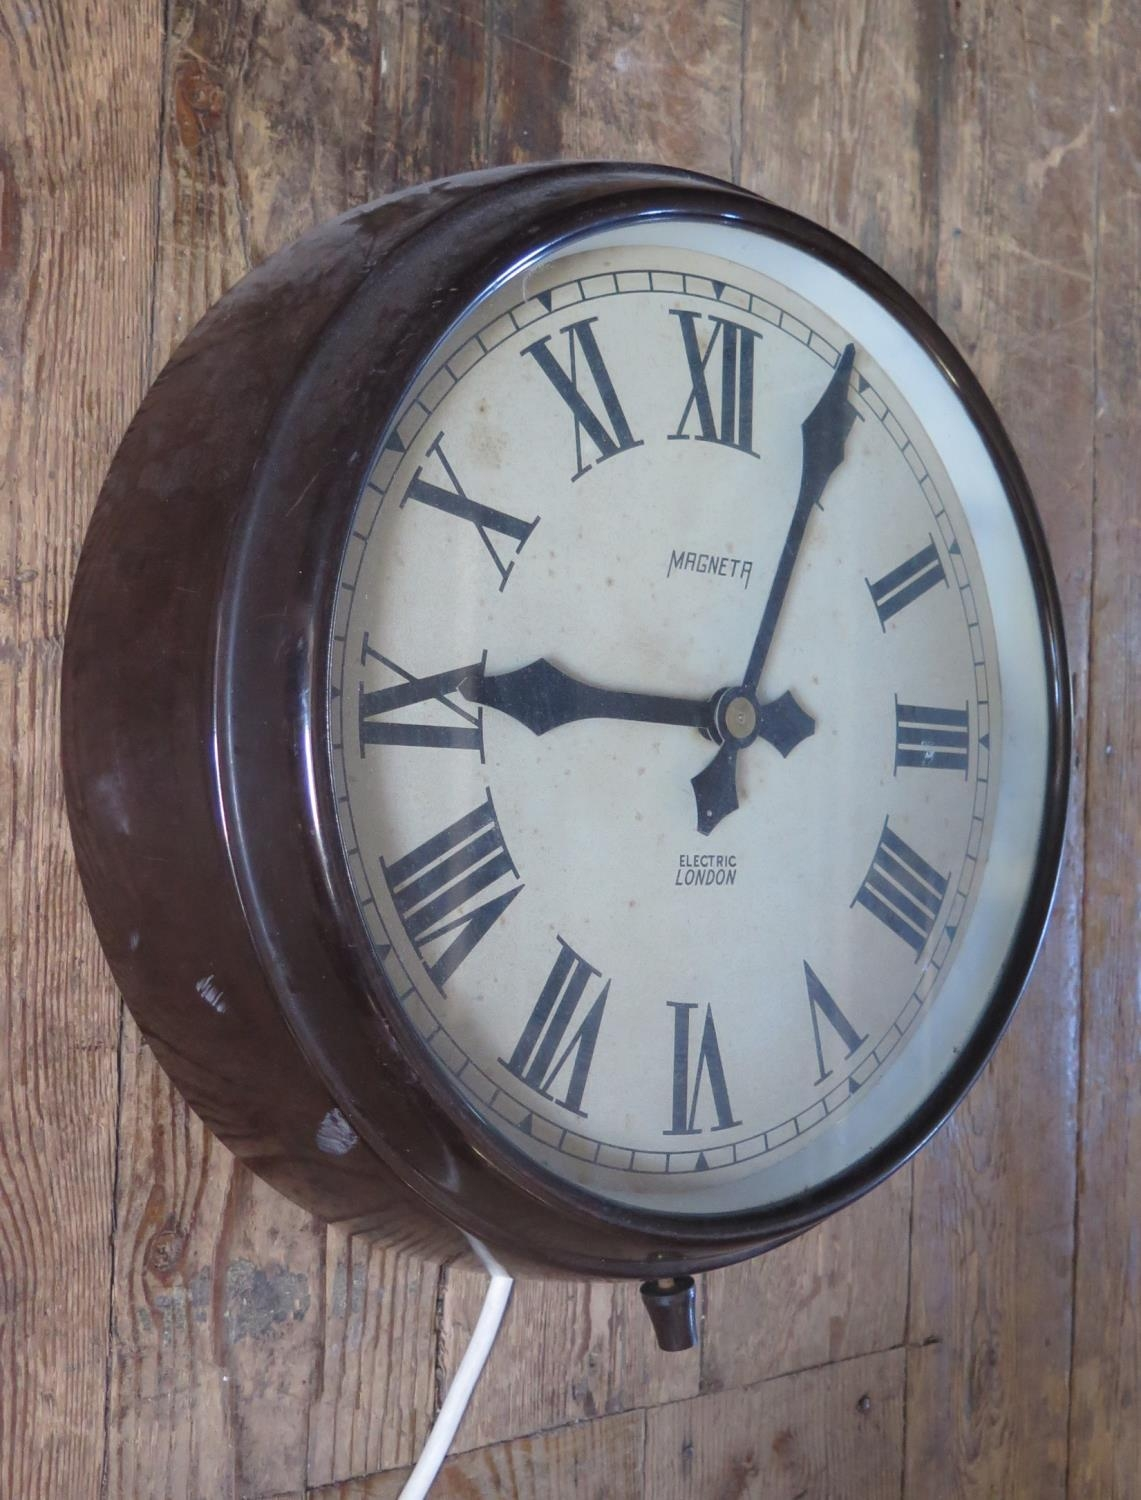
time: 9:04
